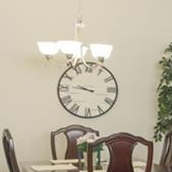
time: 9:45
